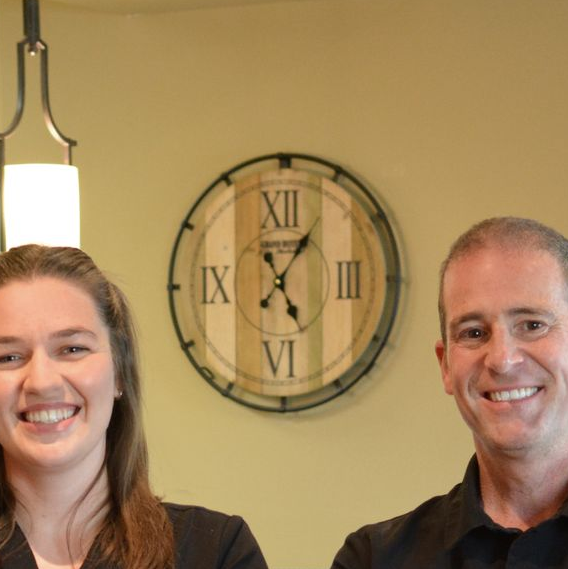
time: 5:06
